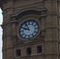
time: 9:55
